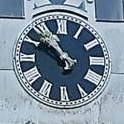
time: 10:50
